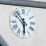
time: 5:53
